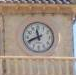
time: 11:41
